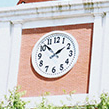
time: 1:52
